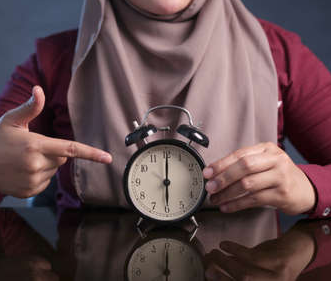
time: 6:00
